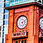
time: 5:11
